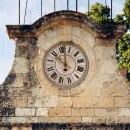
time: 11:02
